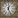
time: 12:26
